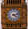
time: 4:12
